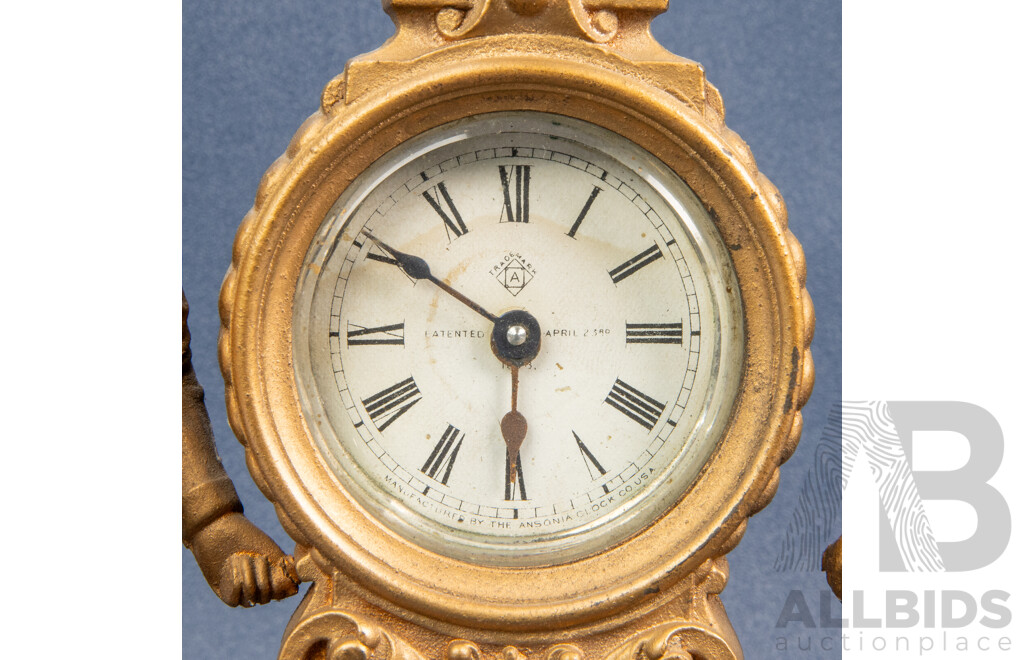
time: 5:50
